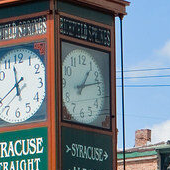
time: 1:12
